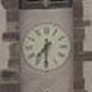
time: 7:30
